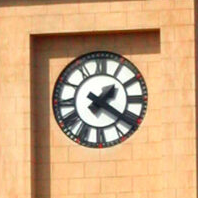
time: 1:21
